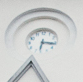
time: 6:16
